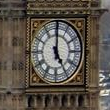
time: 5:00
